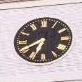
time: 6:40
